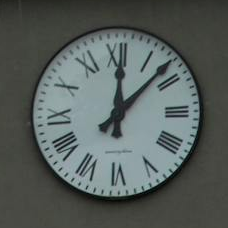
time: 12:07
